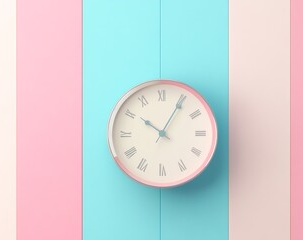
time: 10:05
